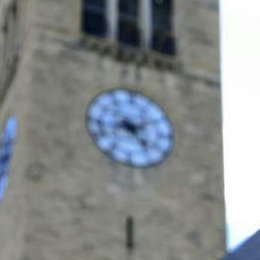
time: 8:23
